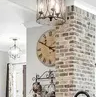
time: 2:50
